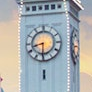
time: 8:30
